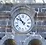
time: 10:51
